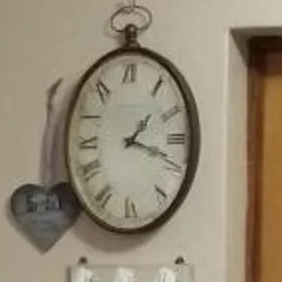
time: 1:18
